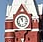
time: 11:56
